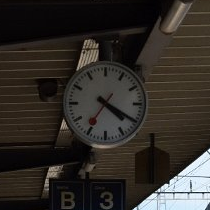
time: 4:20
